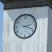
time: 2:18
